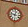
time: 12:47
